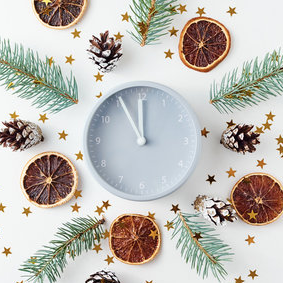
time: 11:55
